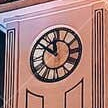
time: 11:51
